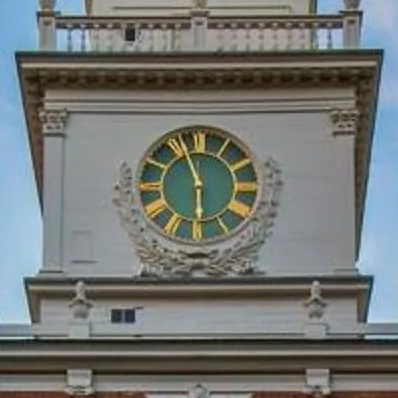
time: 5:56
